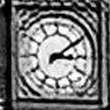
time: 3:09
